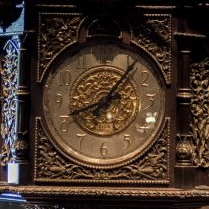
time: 8:06
